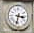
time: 3:32
